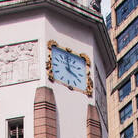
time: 3:59
